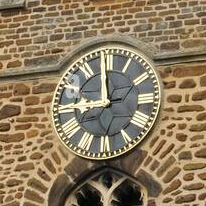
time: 8:59
